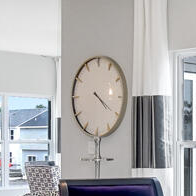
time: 4:20
